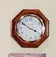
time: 3:50
